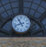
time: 10:42
